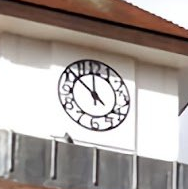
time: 11:51
